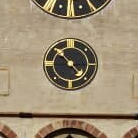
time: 10:22
